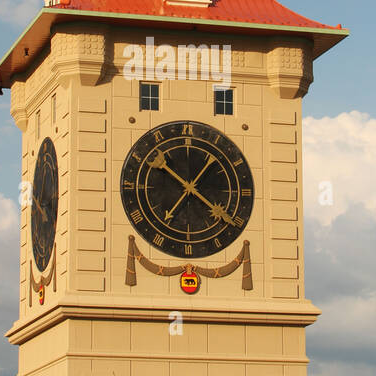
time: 10:20
